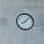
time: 8:07
